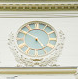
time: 4:50
